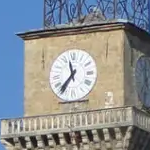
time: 11:36
